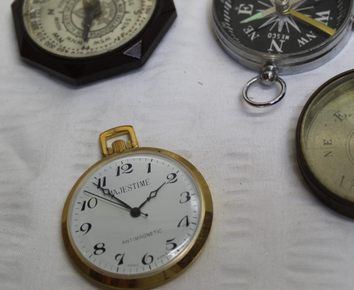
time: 1:53
